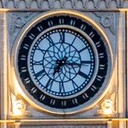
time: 7:14
